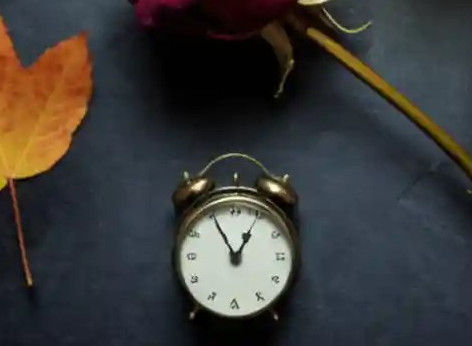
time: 12:55
